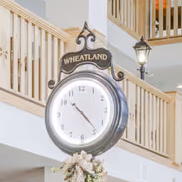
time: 10:23
